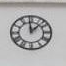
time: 12:07
